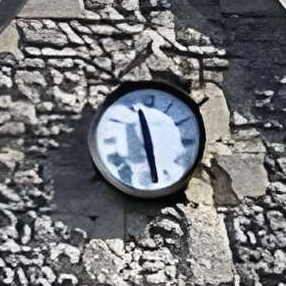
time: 11:28
